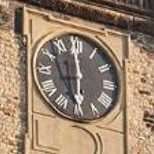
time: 5:59
